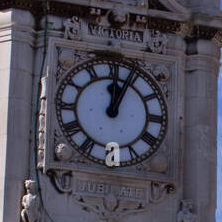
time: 12:04
